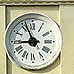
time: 8:56
